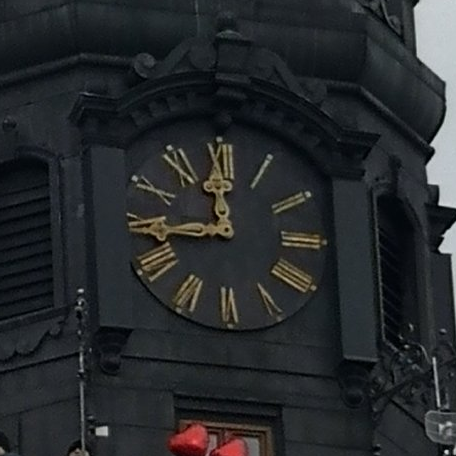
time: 11:44
